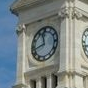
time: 11:42
